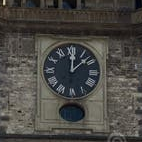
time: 12:07
